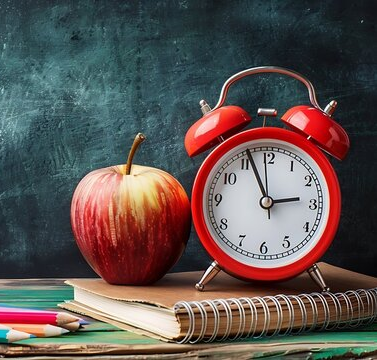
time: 2:56
